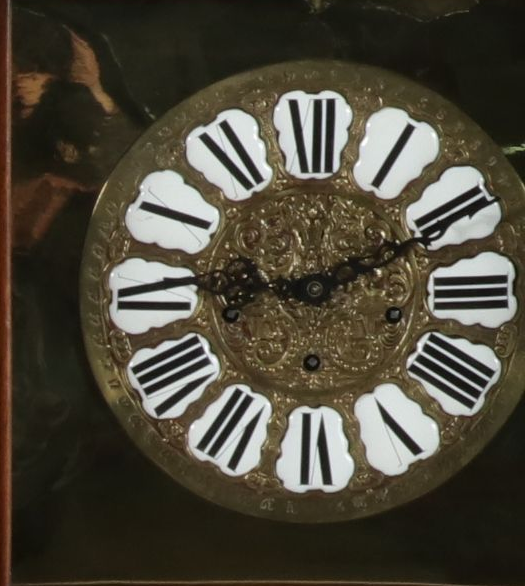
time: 9:10
